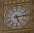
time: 5:13
